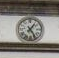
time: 1:24
